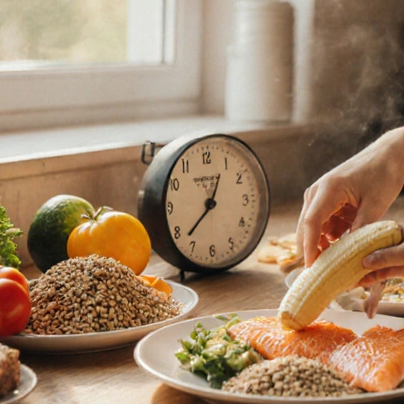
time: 12:37
